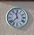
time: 11:37
